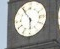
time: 5:54
